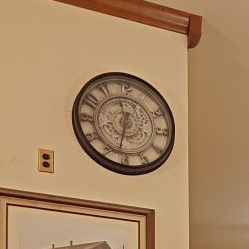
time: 11:32
